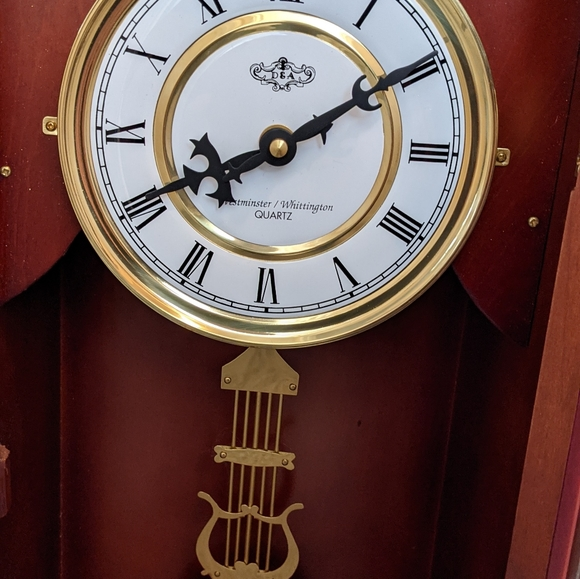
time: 8:09
